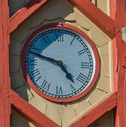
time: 4:47
